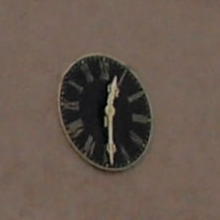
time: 12:29
